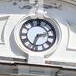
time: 2:33
